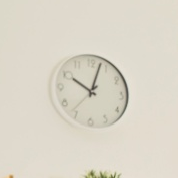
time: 10:02
